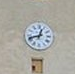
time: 12:42
